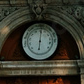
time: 6:00
